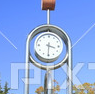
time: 3:30
